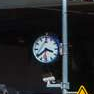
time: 3:38
